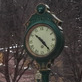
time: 10:23
